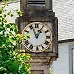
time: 12:56
